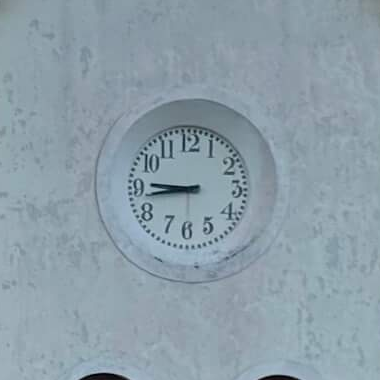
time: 8:45
